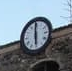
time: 6:00
